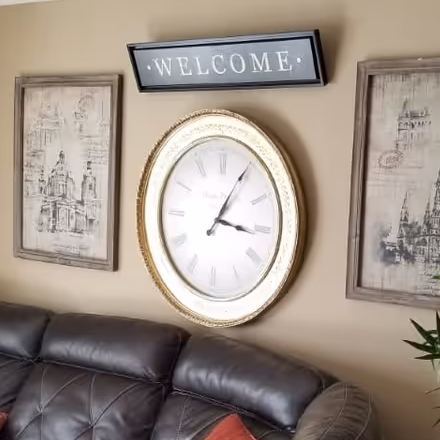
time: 3:04
